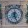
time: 12:26
